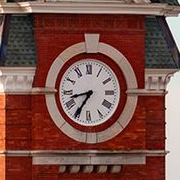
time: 8:35
